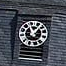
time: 11:06
